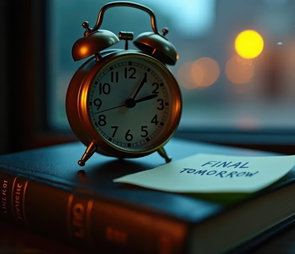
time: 1:12
